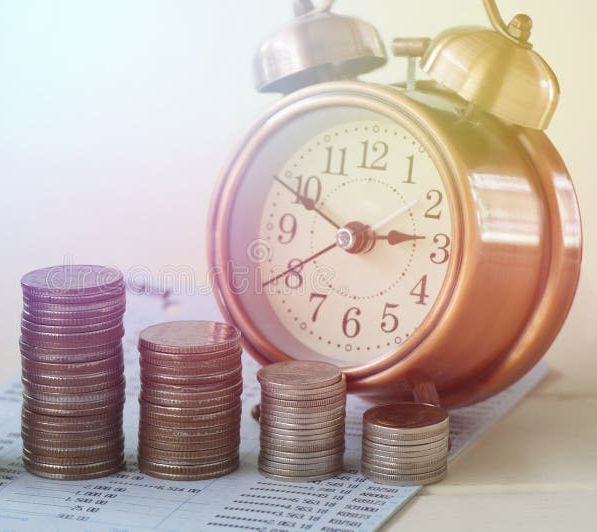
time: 2:49
